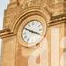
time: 3:50
